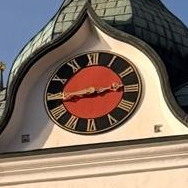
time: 2:44
